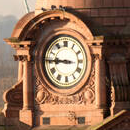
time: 8:45
